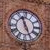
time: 11:25
